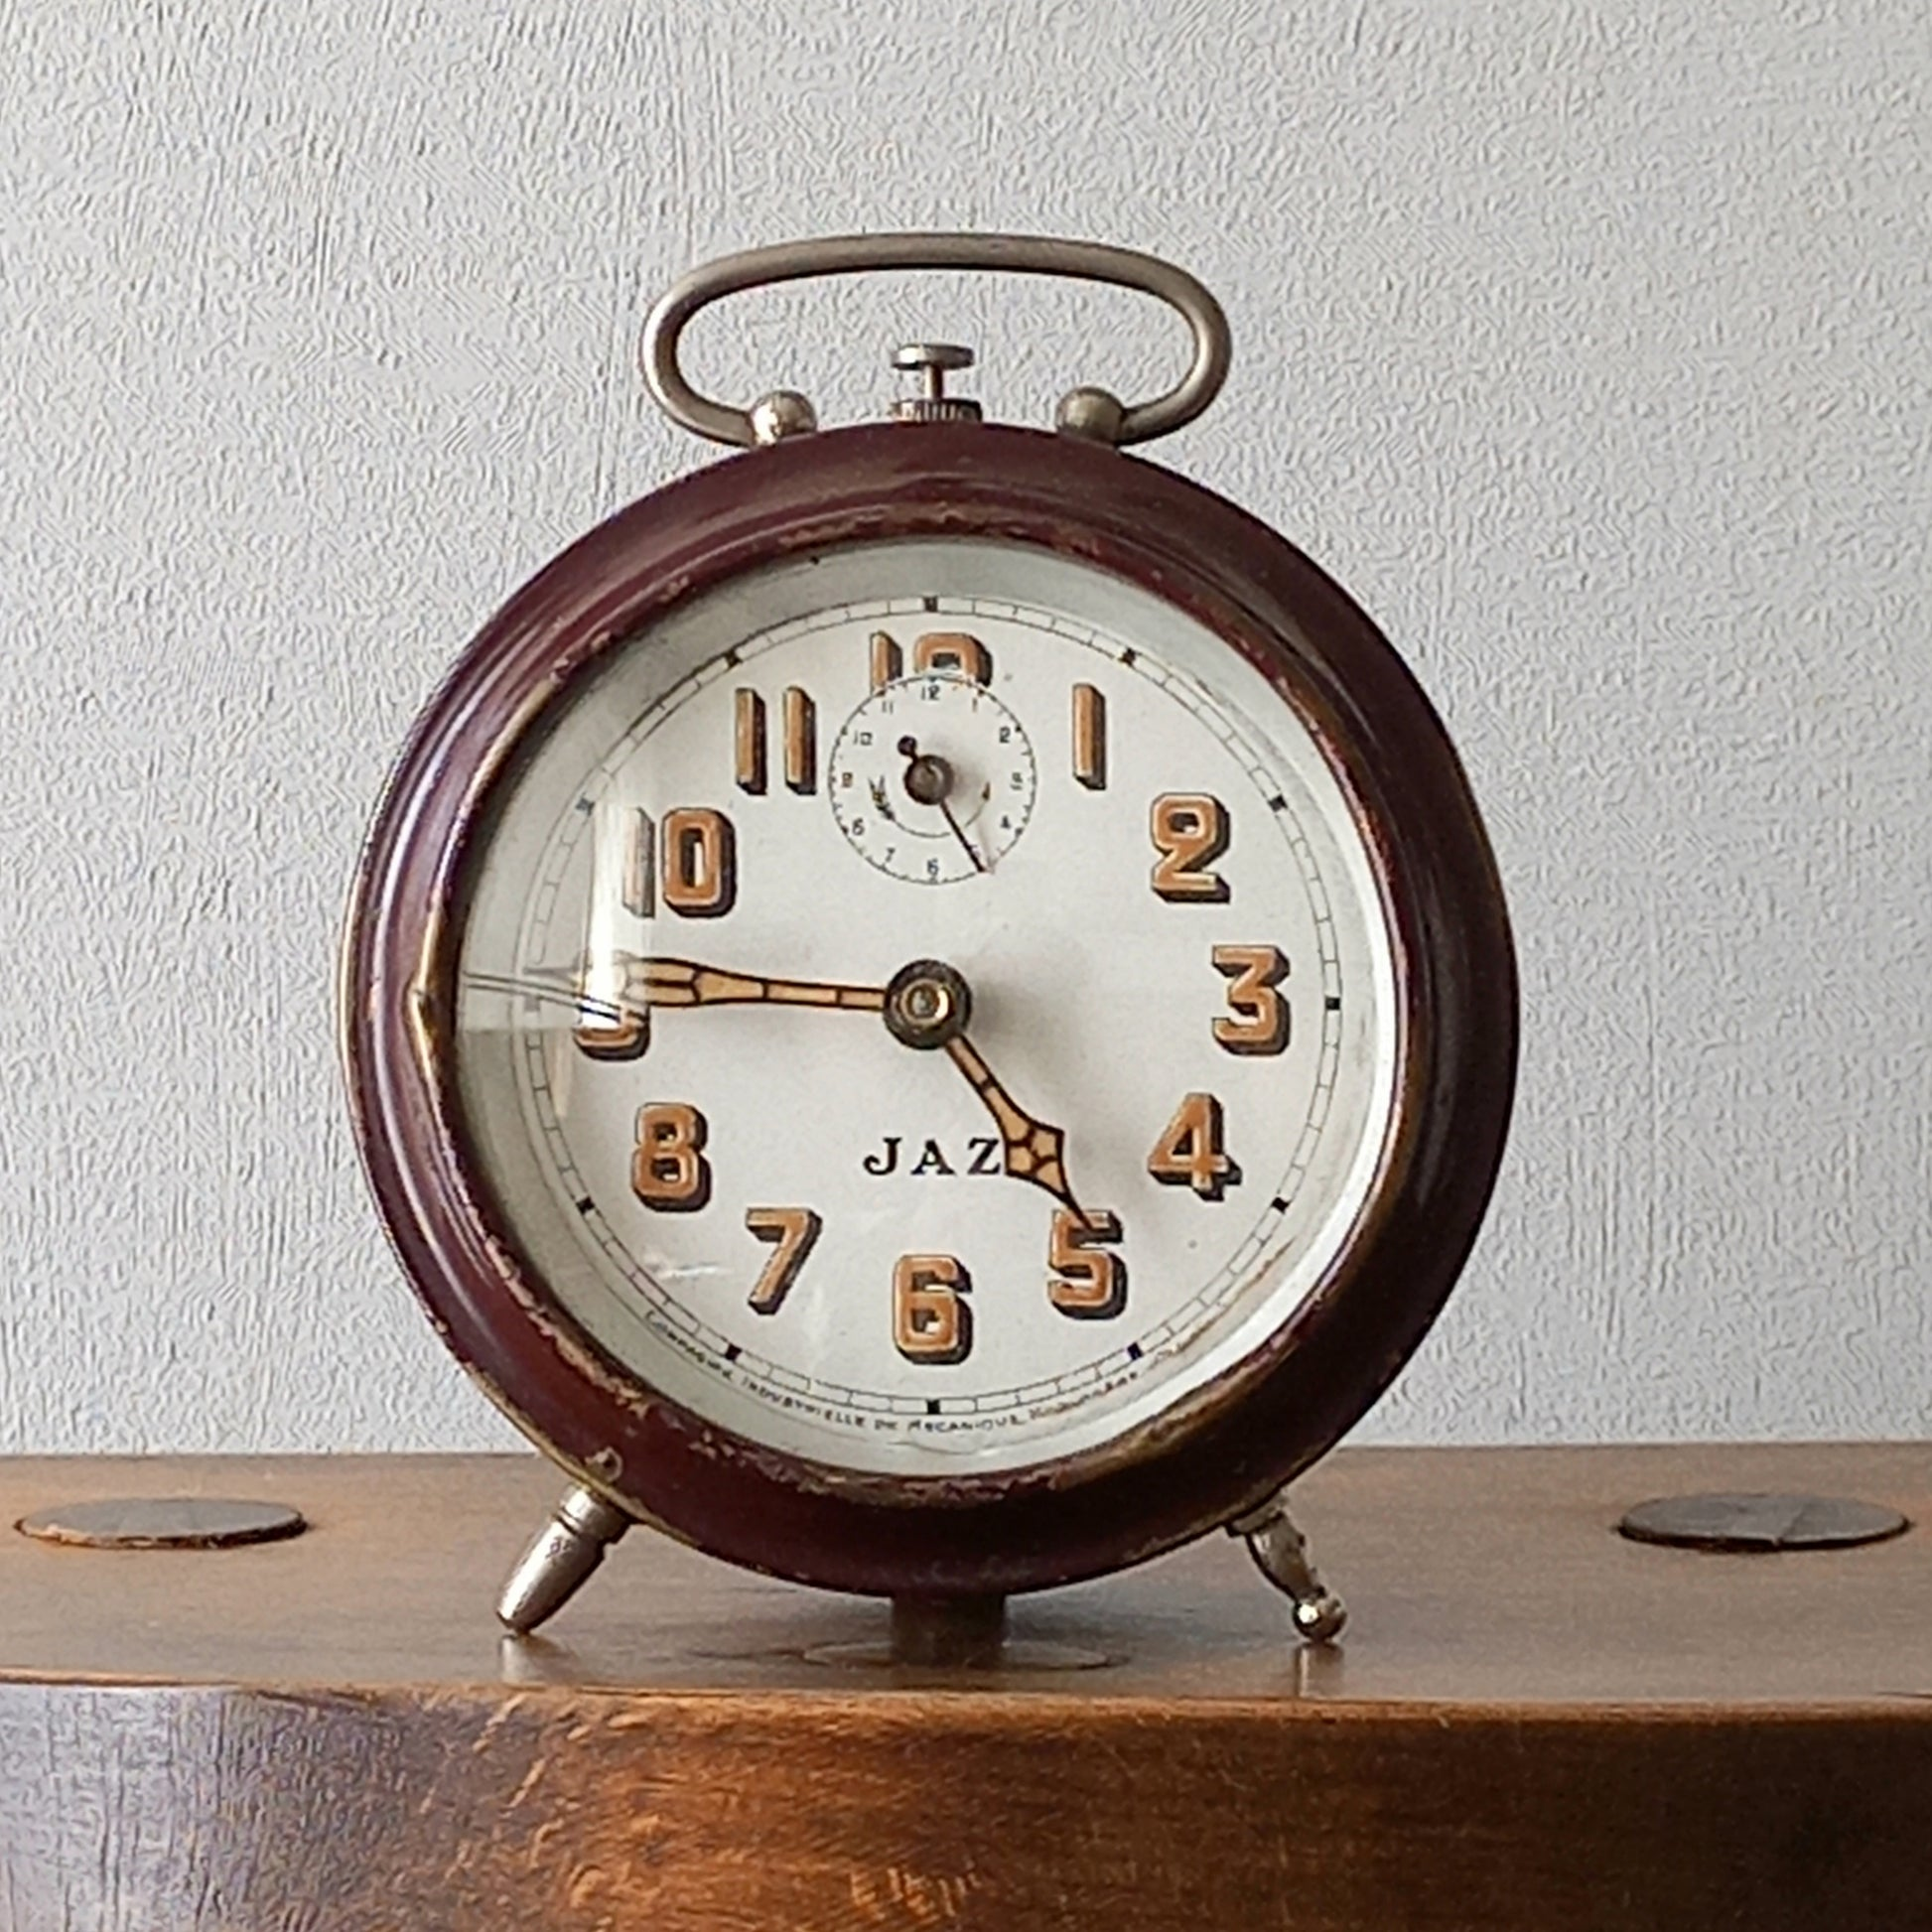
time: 4:45
